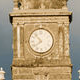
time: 7:53
